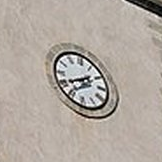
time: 1:40
